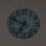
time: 6:48
